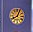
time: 8:04
